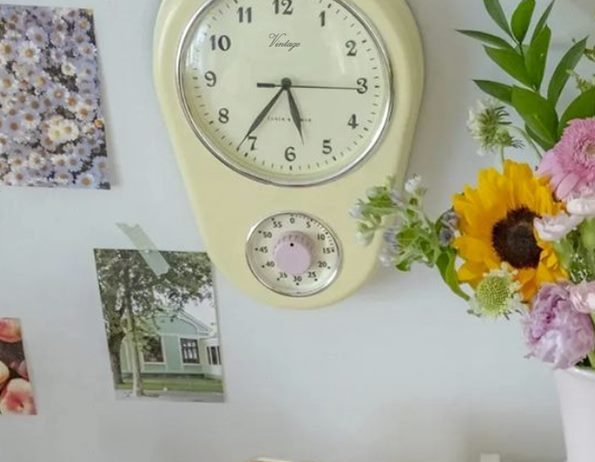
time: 5:36
